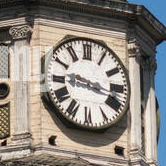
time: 9:17
